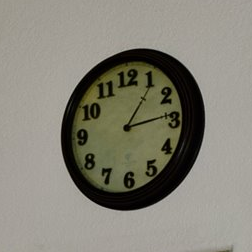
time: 1:13
